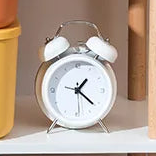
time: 1:21
